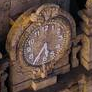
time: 5:35
